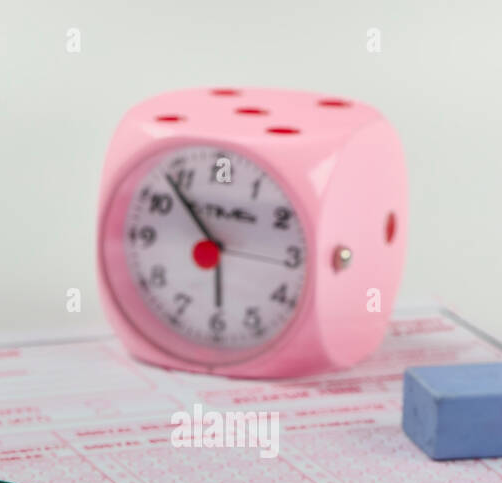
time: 5:53
